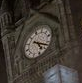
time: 4:17
